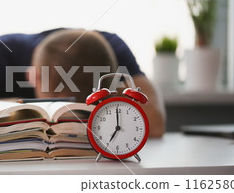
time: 6:59
